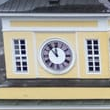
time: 11:53
